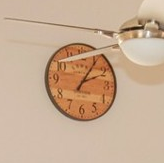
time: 2:05
